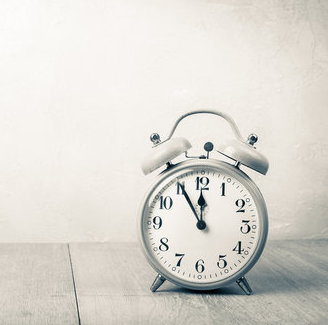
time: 11:55
